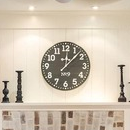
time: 12:07
